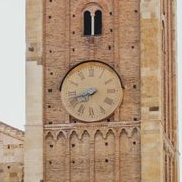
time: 7:42
